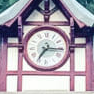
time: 7:15
